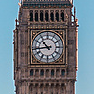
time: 10:43
